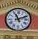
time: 11:11
